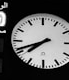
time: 7:41
